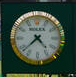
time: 4:38
